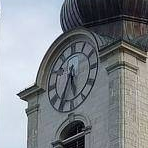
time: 5:34
